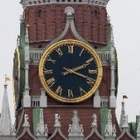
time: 2:18
